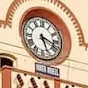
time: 5:17
